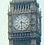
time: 3:29
